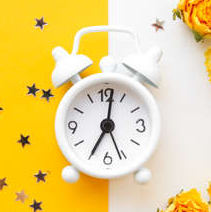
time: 7:01
